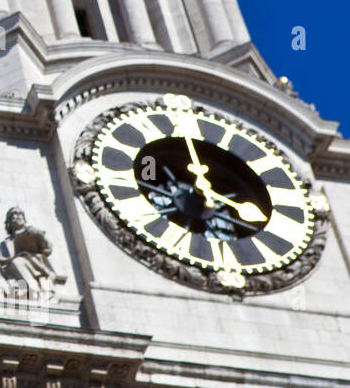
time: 3:58
